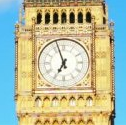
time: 6:56
